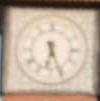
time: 6:26
